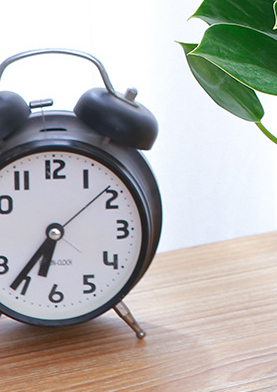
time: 6:36
